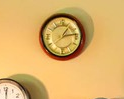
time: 1:13
